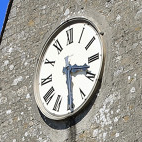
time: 3:29
